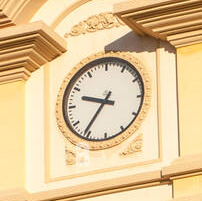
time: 9:36
